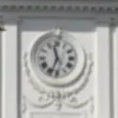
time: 11:33
